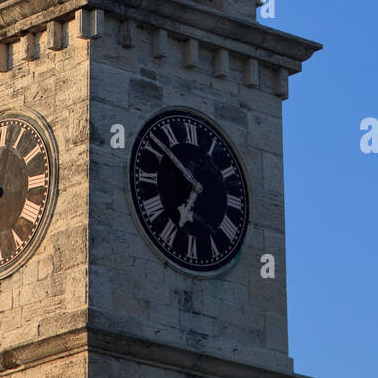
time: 6:51
